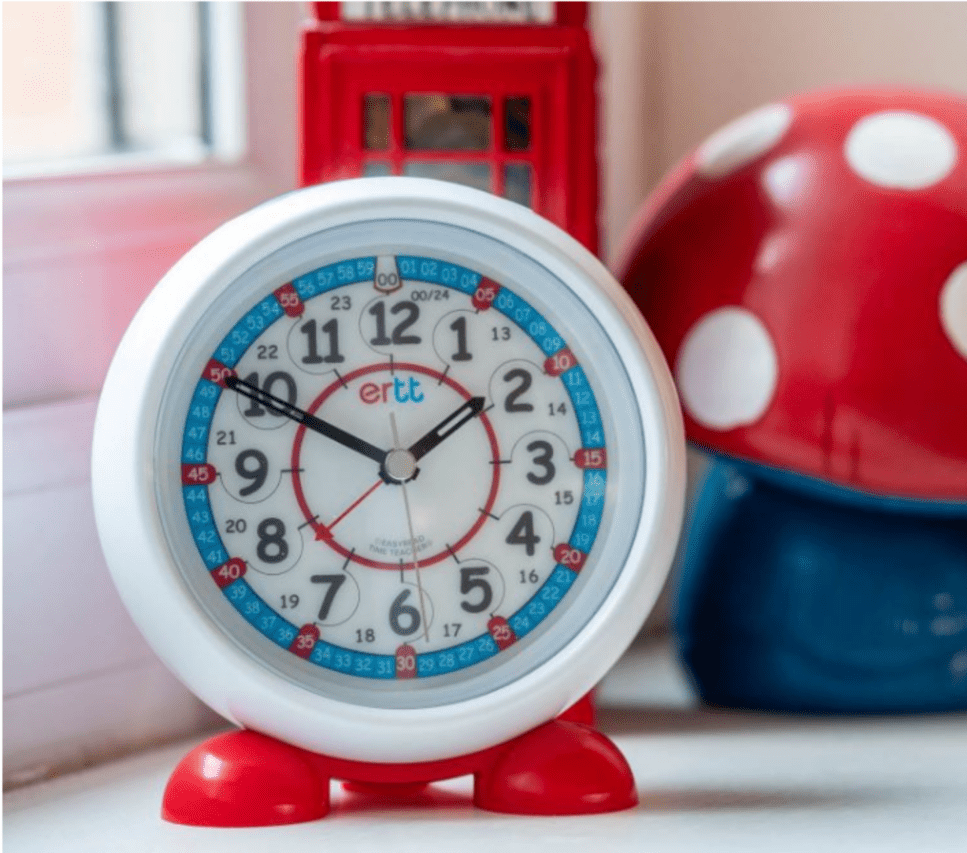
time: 1:49
